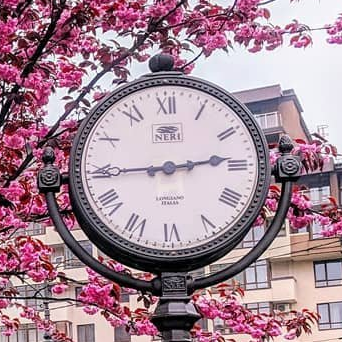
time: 2:44
